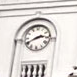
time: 2:40
